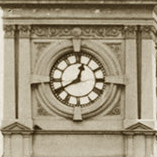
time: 12:40
